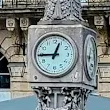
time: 12:44
